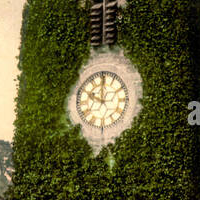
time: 10:00
